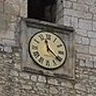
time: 11:21
